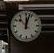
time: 12:02
